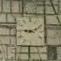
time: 9:11
